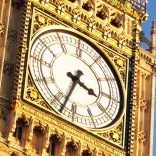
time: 3:33
